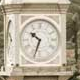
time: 10:33
